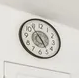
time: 4:53
